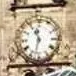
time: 11:32
